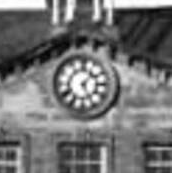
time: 1:26
